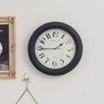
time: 1:44
